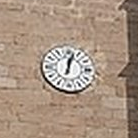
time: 12:02
